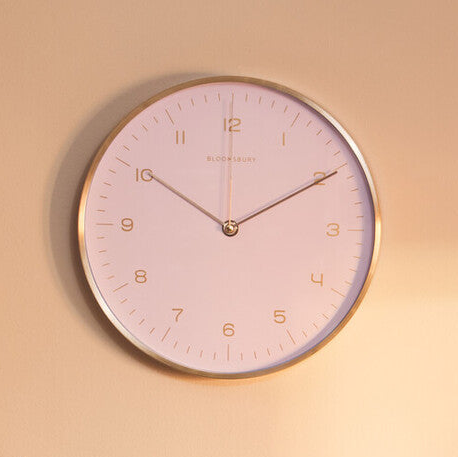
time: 10:10
